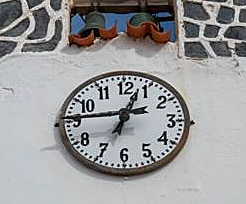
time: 12:45
